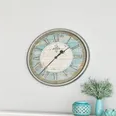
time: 1:36
